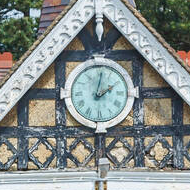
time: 2:01
